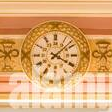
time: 4:07
